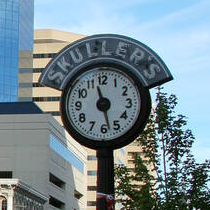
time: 11:28
